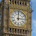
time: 3:00
